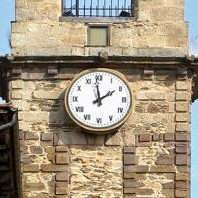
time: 1:58
